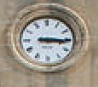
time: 3:15
